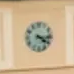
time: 4:16
